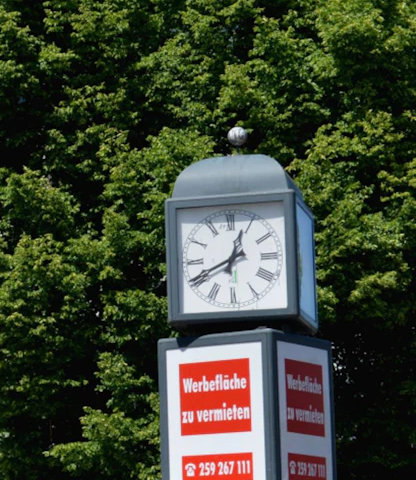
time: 12:40
